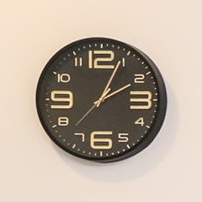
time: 2:04
